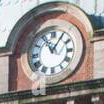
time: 11:05
